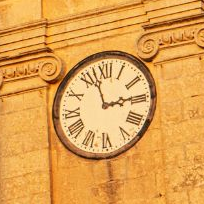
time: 2:57
